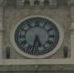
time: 5:32
